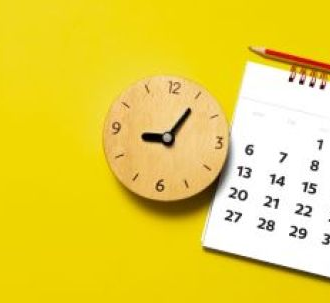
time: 9:05
